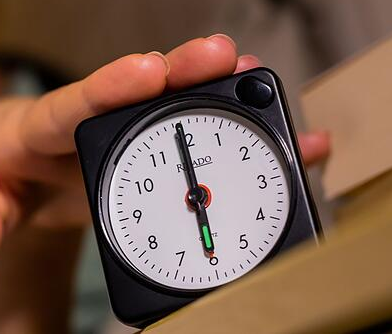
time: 5:59
